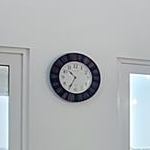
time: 10:34
